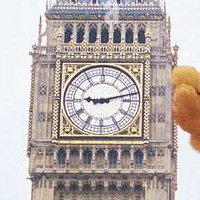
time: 9:12
